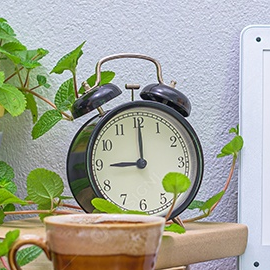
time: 9:00
